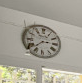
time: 2:37
